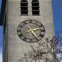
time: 2:24
